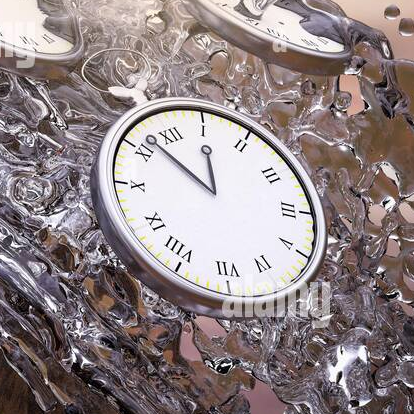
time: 11:52
